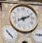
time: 8:11
